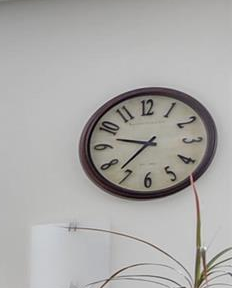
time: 9:37
